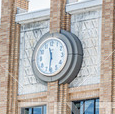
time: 11:31
